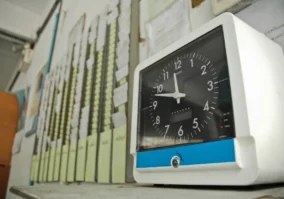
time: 11:48
